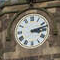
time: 3:12
